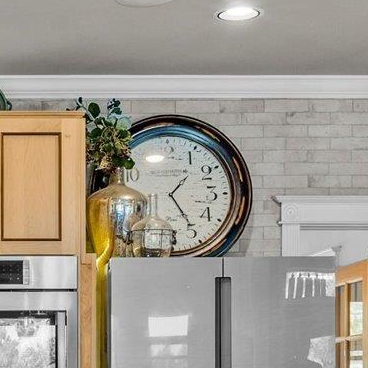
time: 1:24
